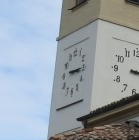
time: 9:15
